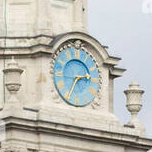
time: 2:34
